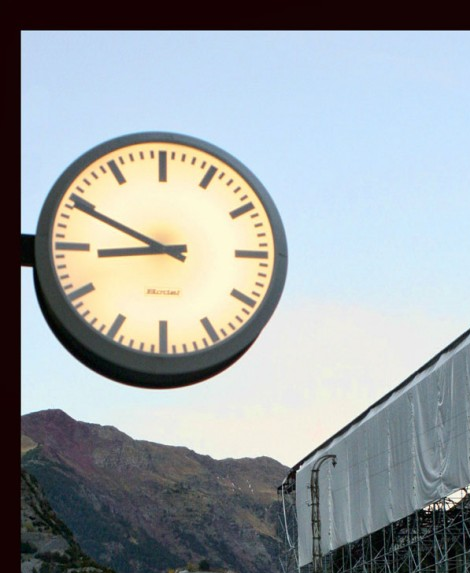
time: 8:49
